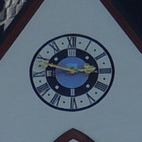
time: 2:46
